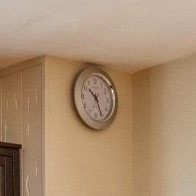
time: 10:25
